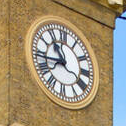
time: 10:43
